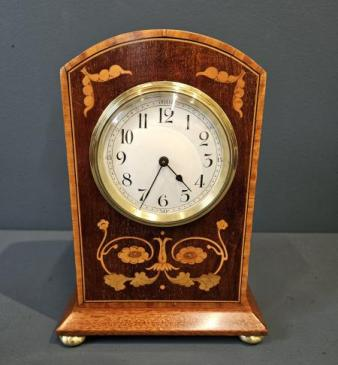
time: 4:34
